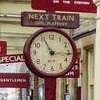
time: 11:16
